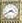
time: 3:40
